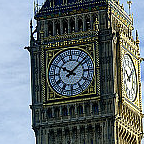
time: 10:08
